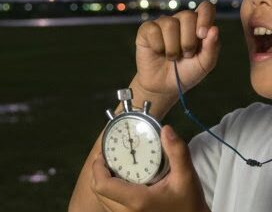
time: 5:59
